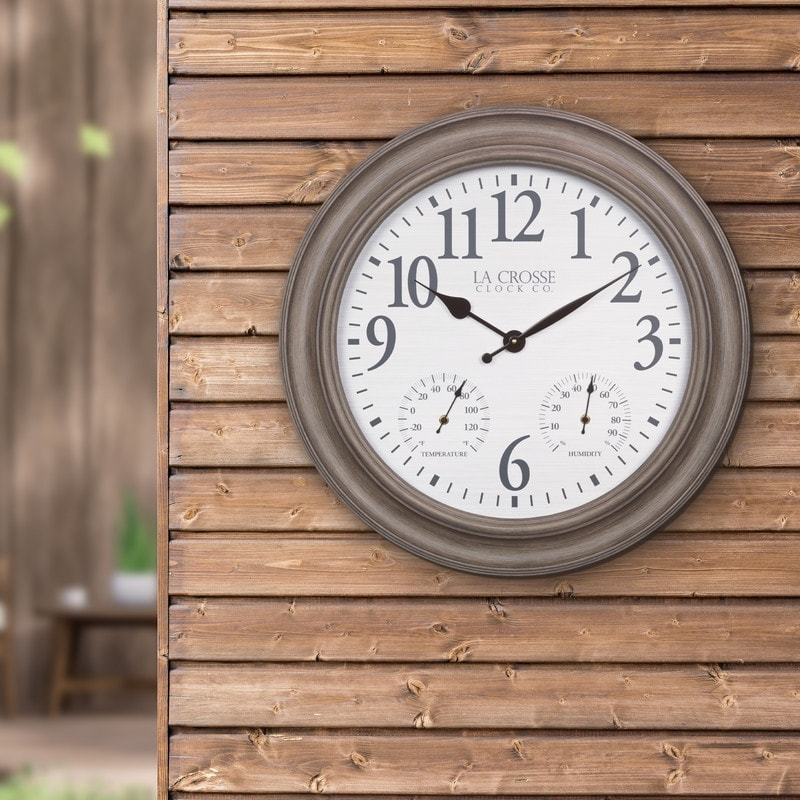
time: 10:09
